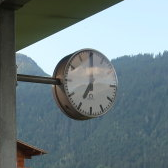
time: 7:00
